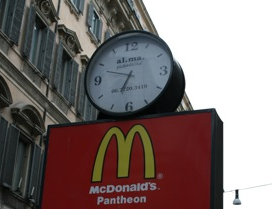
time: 6:48
